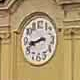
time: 8:42
